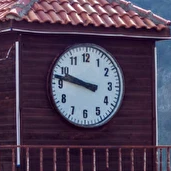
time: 9:47
